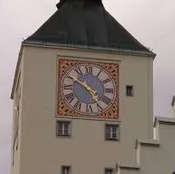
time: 4:50
